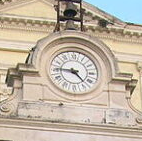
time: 4:45
